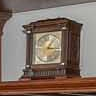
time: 1:16
